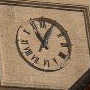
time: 11:04
